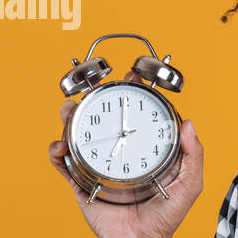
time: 7:00
